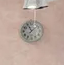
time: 11:07
